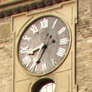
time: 8:35
